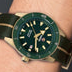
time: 6:10
